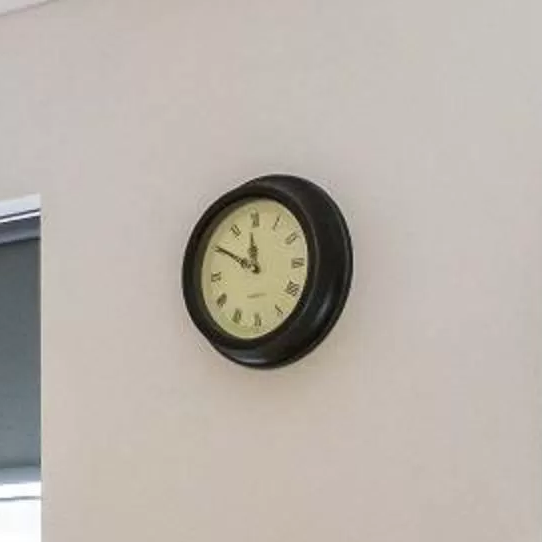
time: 11:50
